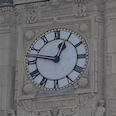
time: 12:47
